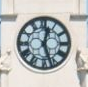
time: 12:26
